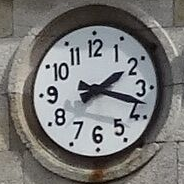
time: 2:18
